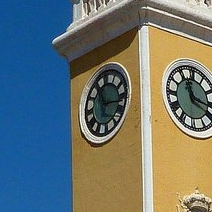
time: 11:16
